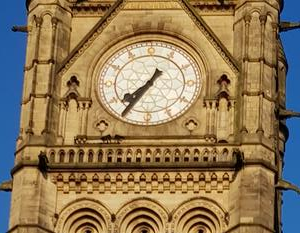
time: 7:35
